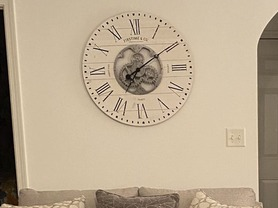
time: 7:09
